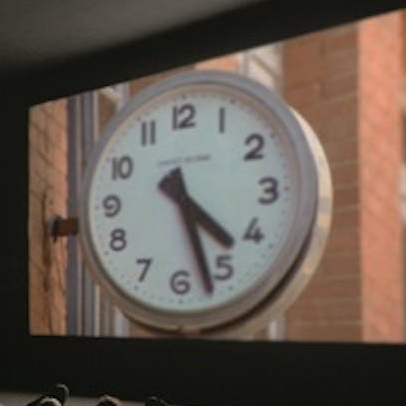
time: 4:27
